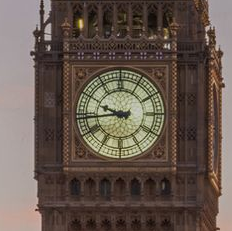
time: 9:43
